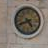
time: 4:41
